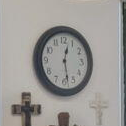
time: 12:28
